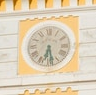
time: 6:28
